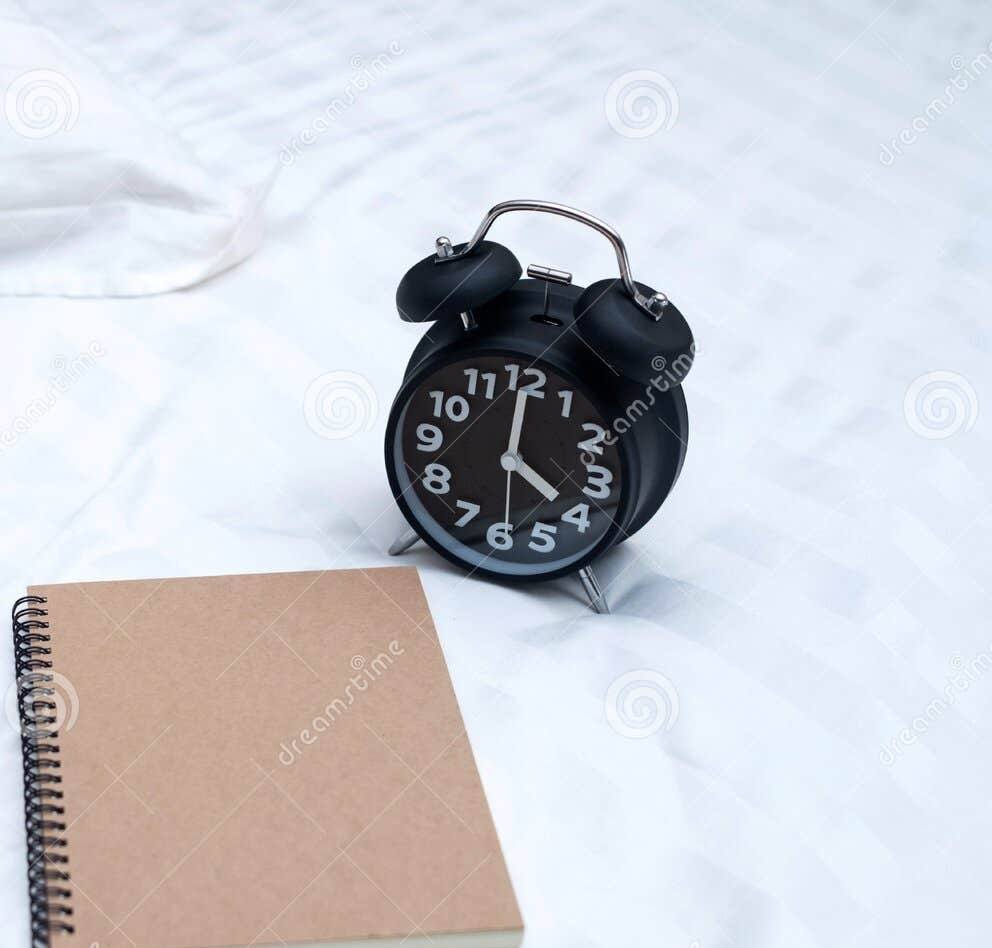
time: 4:00
